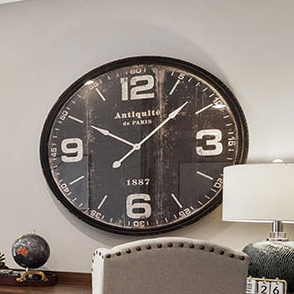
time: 10:07
